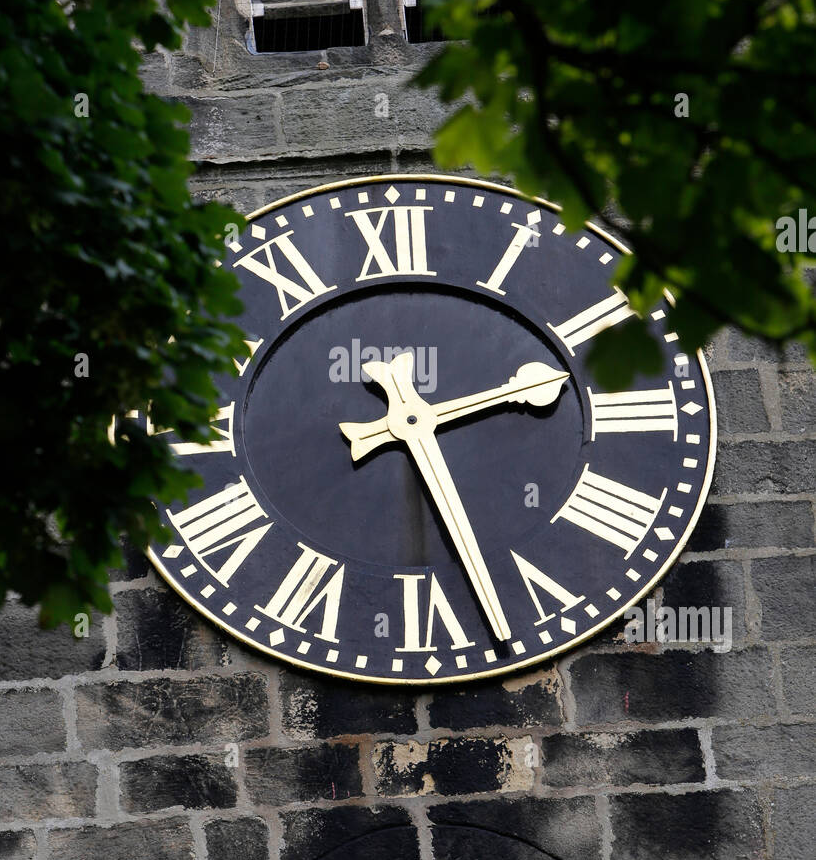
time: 2:27
